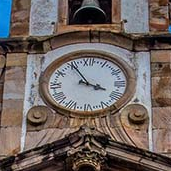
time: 3:54
